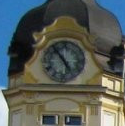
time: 4:54
